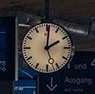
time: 2:01
